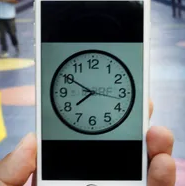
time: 7:50
